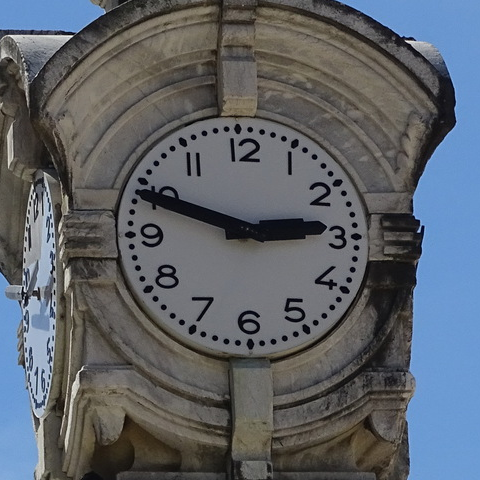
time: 2:48
